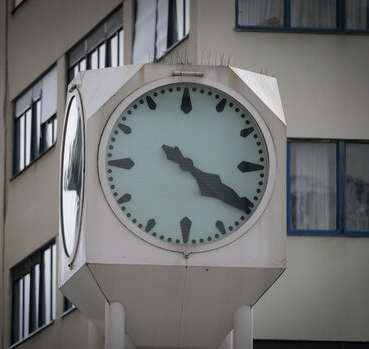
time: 4:20
